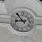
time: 8:53
